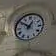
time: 12:51
